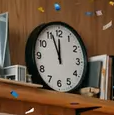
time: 11:56
